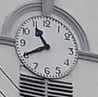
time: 10:40
